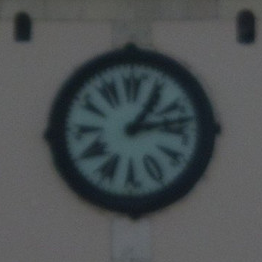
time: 1:12
